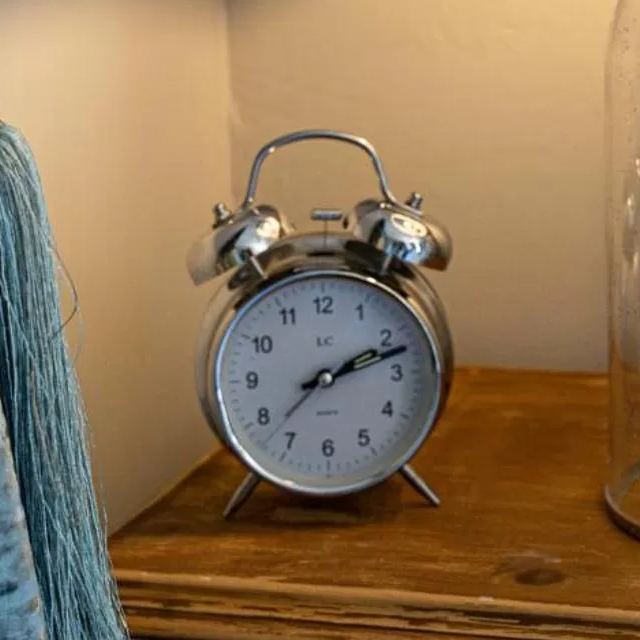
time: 2:12
